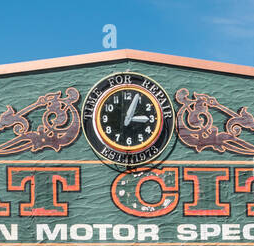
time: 3:04
